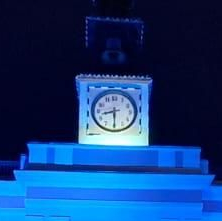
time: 8:30
